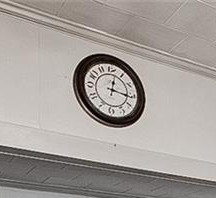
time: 12:16
